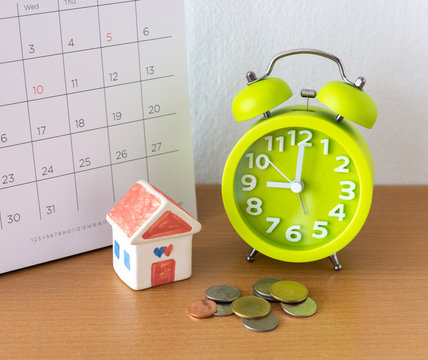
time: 9:00
